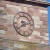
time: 2:38
